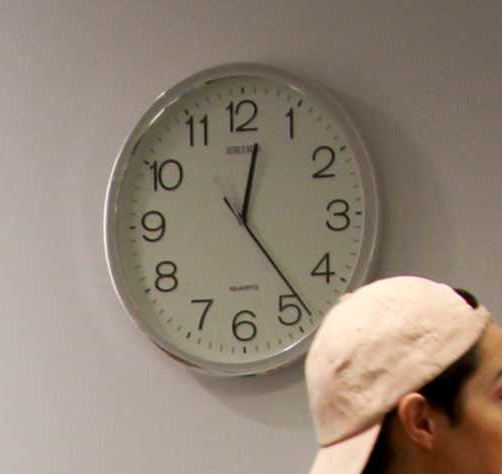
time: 12:23
